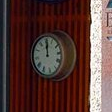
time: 12:00
